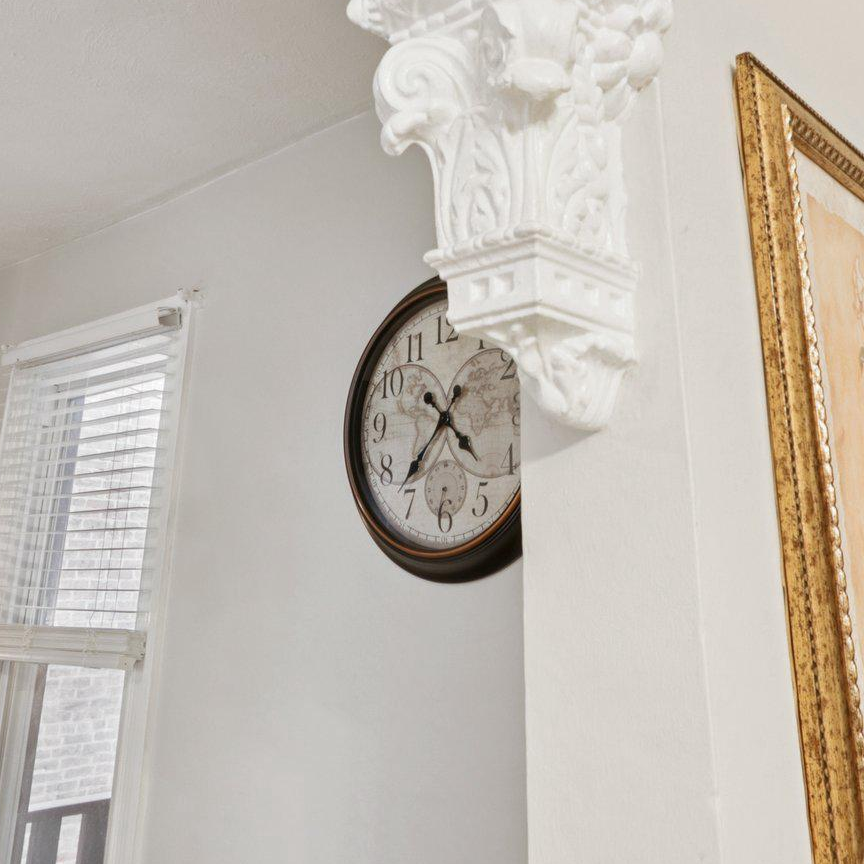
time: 4:36
